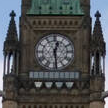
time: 12:28
